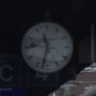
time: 11:32
